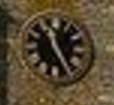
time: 11:25
